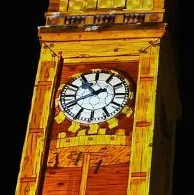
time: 10:40
